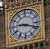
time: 9:18
